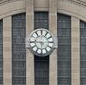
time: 5:45
